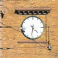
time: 4:31
